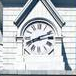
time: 8:11
